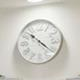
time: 10:21
